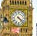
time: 4:22
